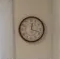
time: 12:18
